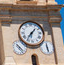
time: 7:07
